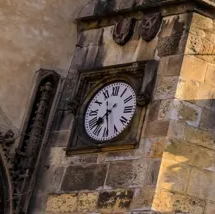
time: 7:28
